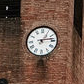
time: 1:13
